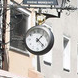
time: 1:22
